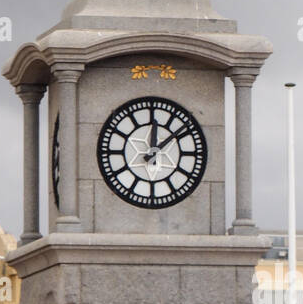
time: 12:08
